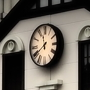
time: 11:39
